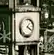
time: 1:20
